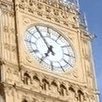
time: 6:54
